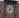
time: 6:15
